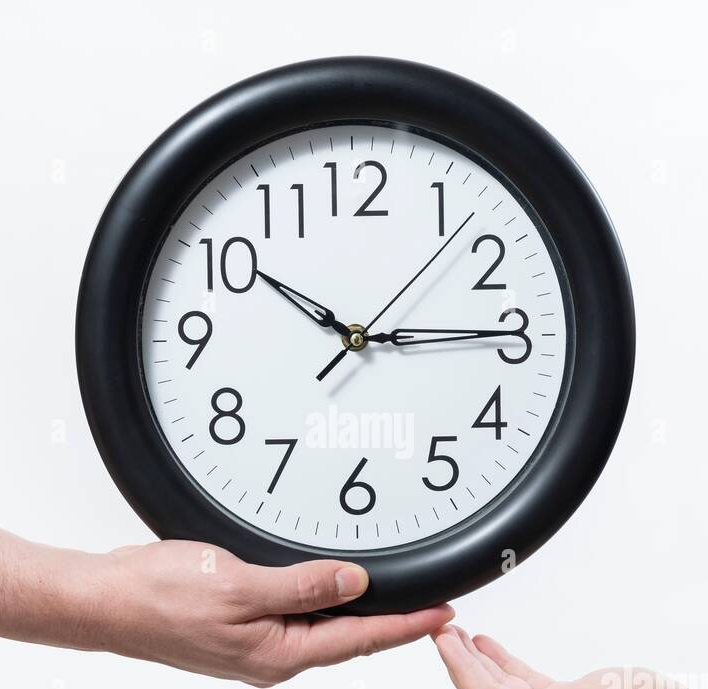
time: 10:14
